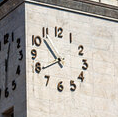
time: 10:39
